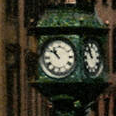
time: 10:51
